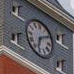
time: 6:10
